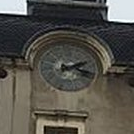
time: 2:18
